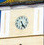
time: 5:24
